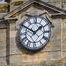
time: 1:50
